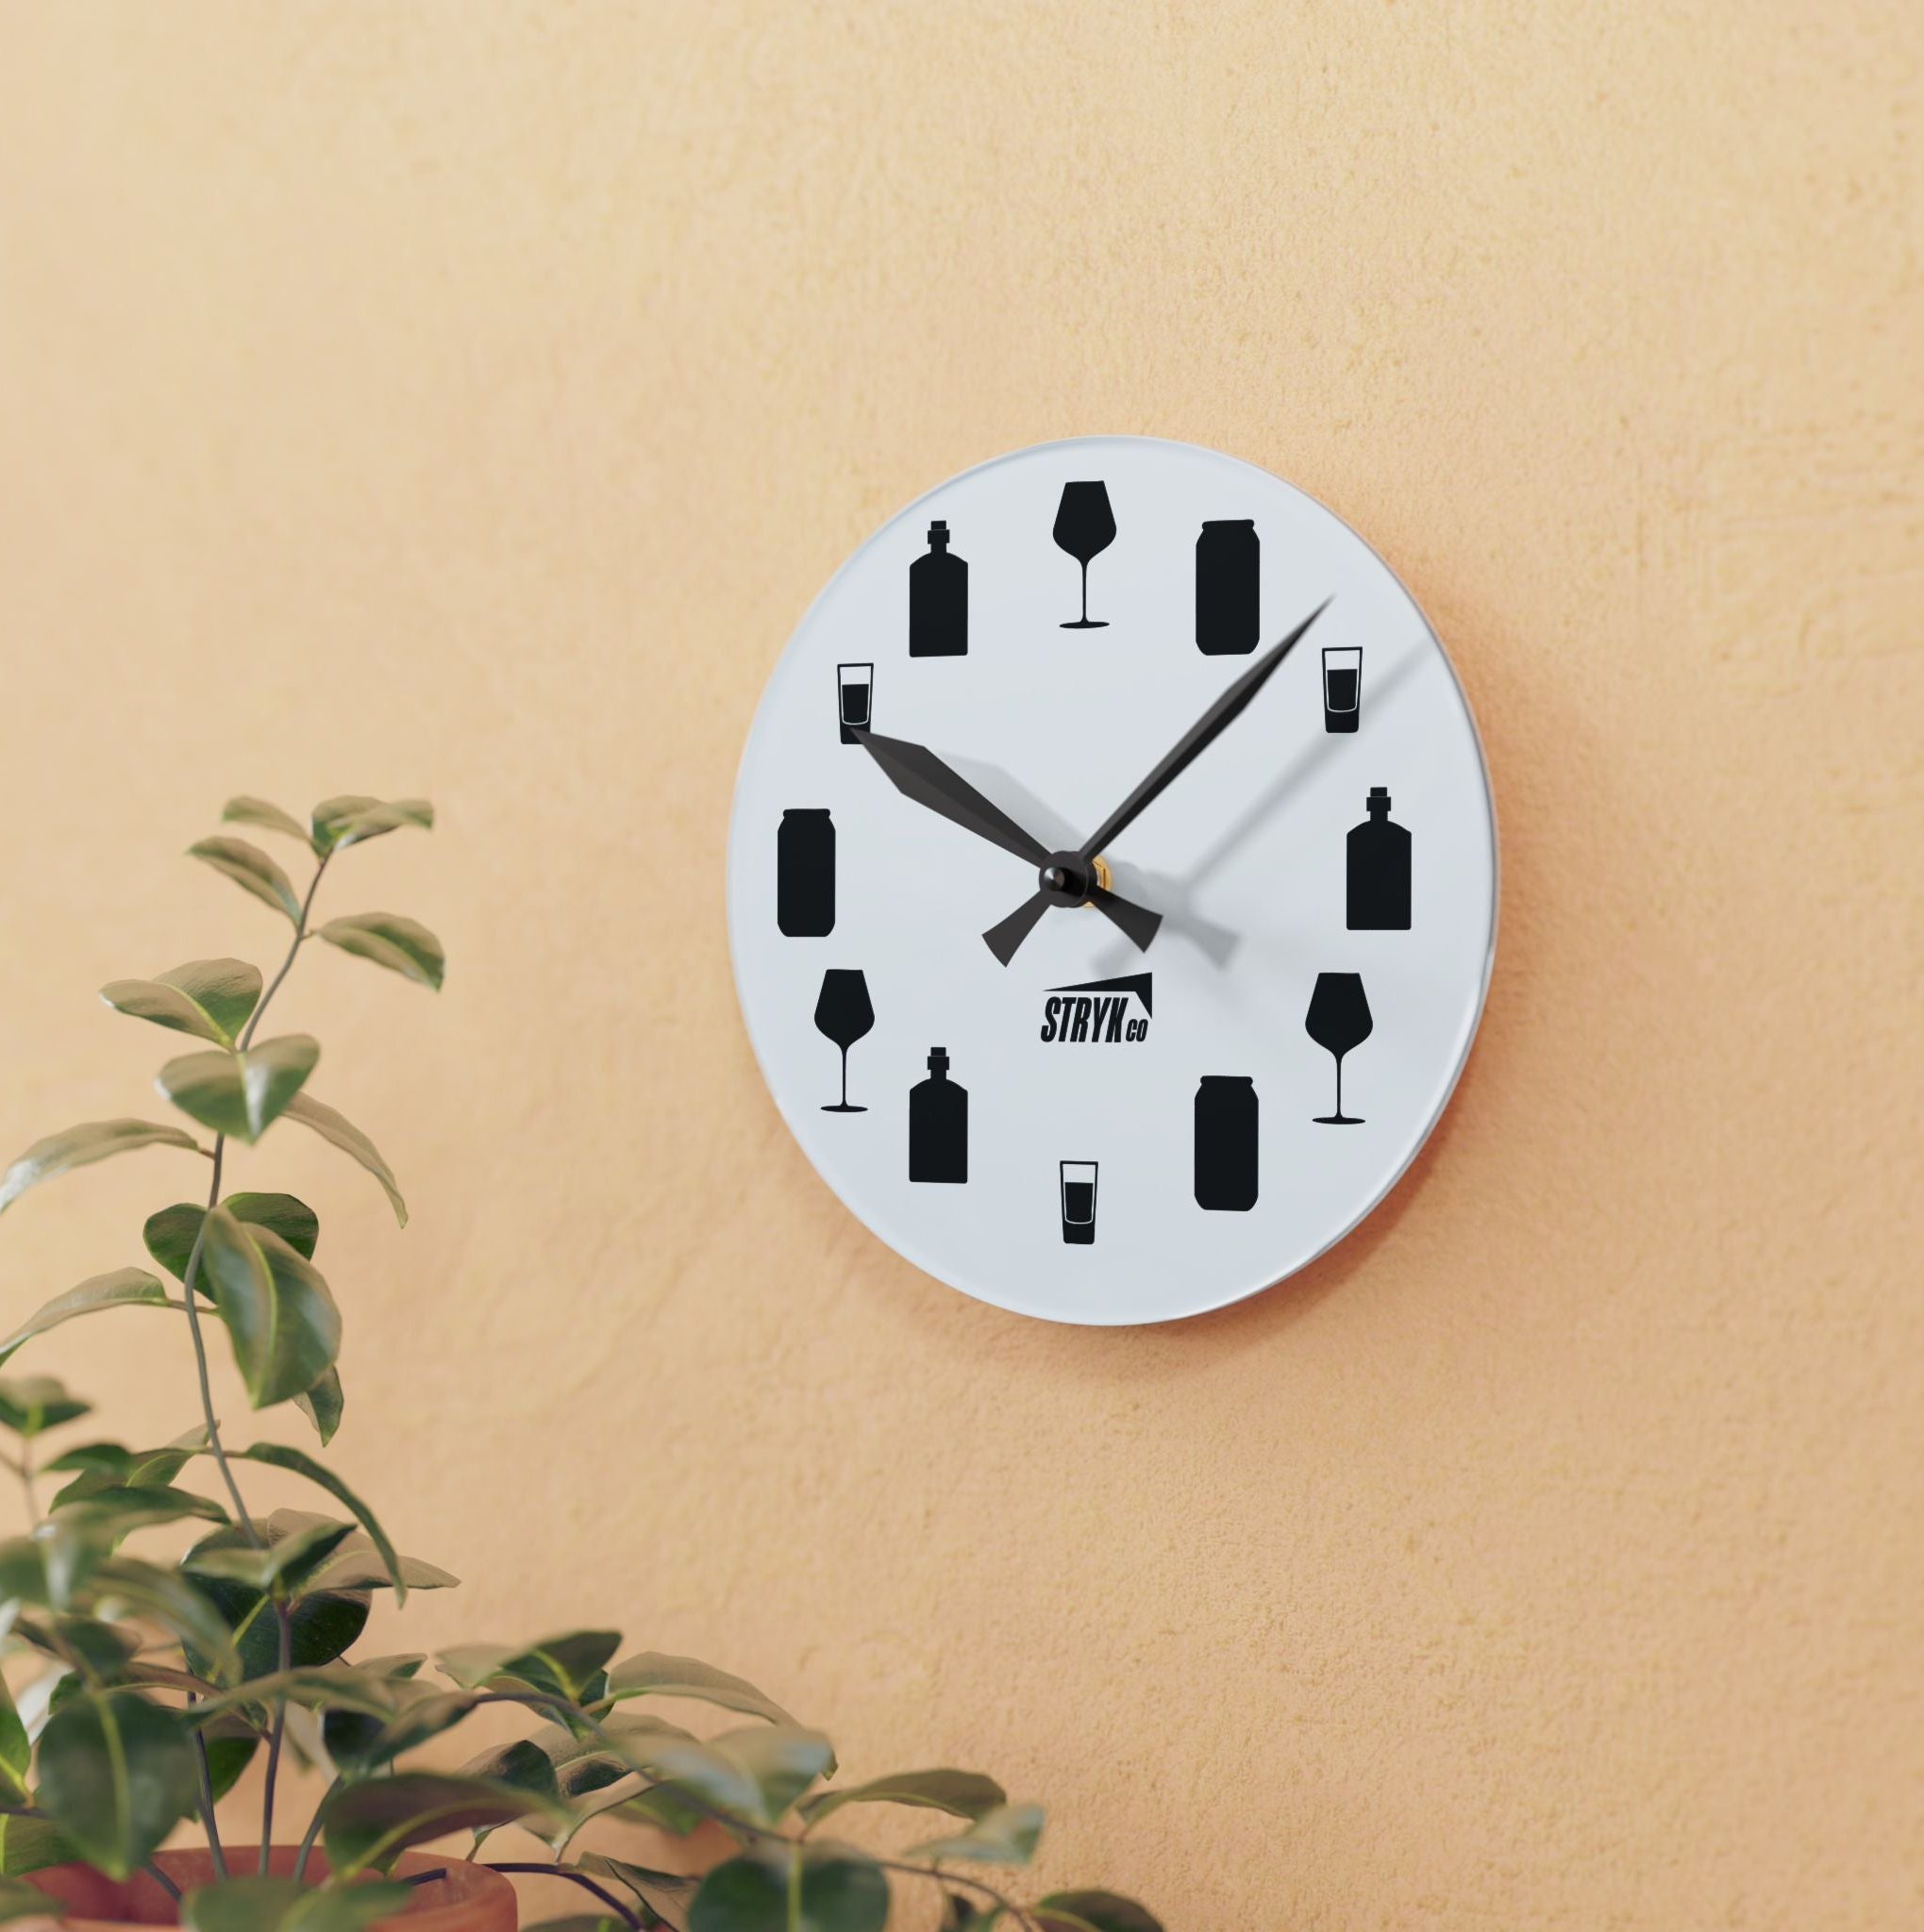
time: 10:07
